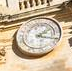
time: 2:18
